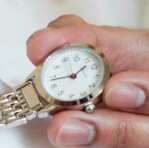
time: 1:43
